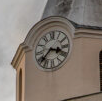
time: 3:37
